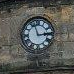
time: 2:57
